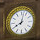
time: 8:02
